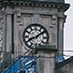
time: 8:09
